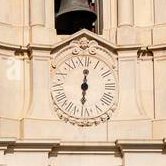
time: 6:00
